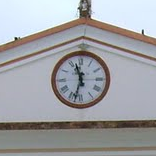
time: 11:32
